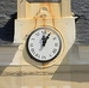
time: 12:04
